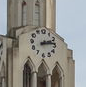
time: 2:13
